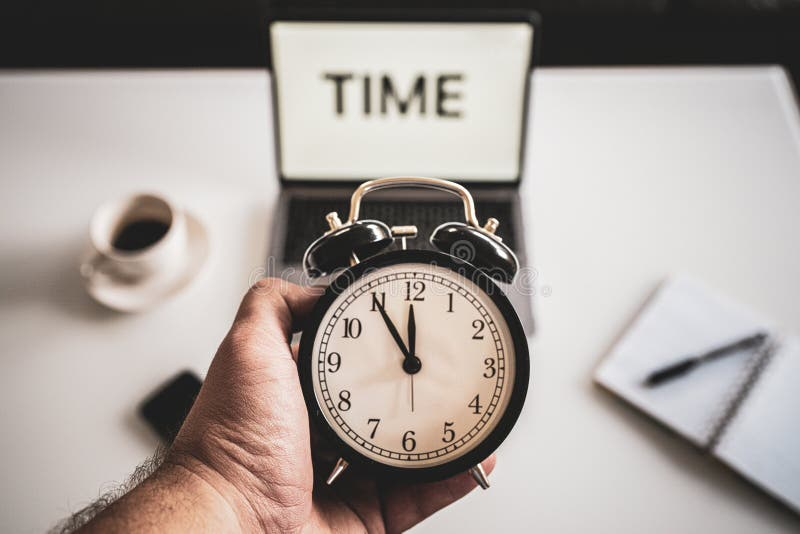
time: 11:54
